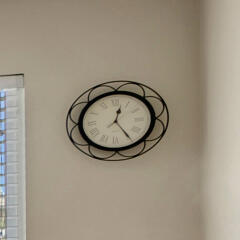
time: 12:24
